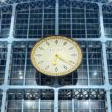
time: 6:21
